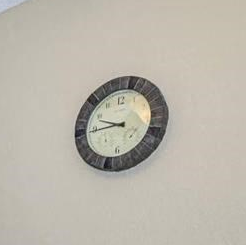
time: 9:44
